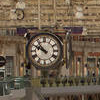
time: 9:53
